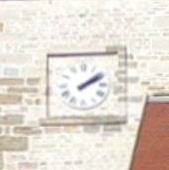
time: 2:08
